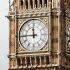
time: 11:45
